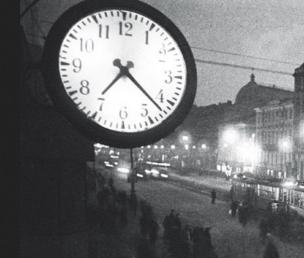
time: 7:21
